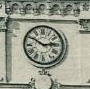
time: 2:50
